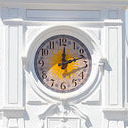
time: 12:11
